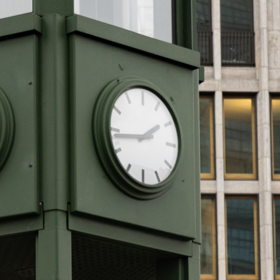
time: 1:43
